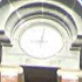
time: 9:01
